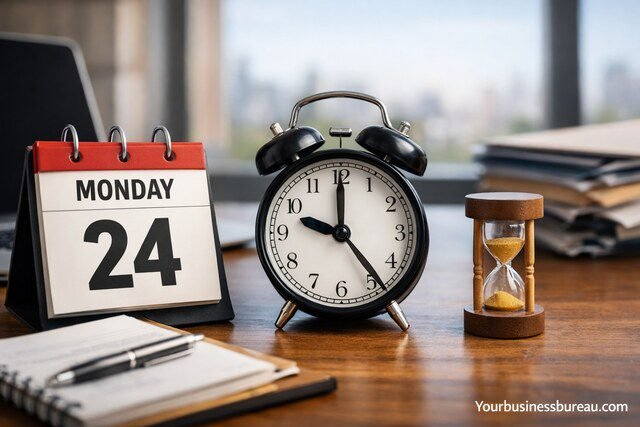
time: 9:23
